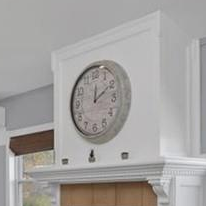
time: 12:09
